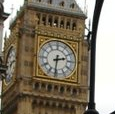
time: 2:31
